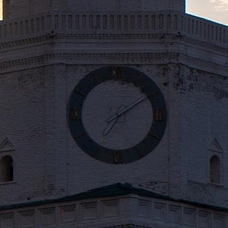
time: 7:09
